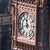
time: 11:42
